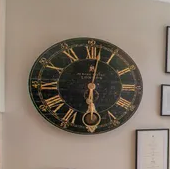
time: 6:01
